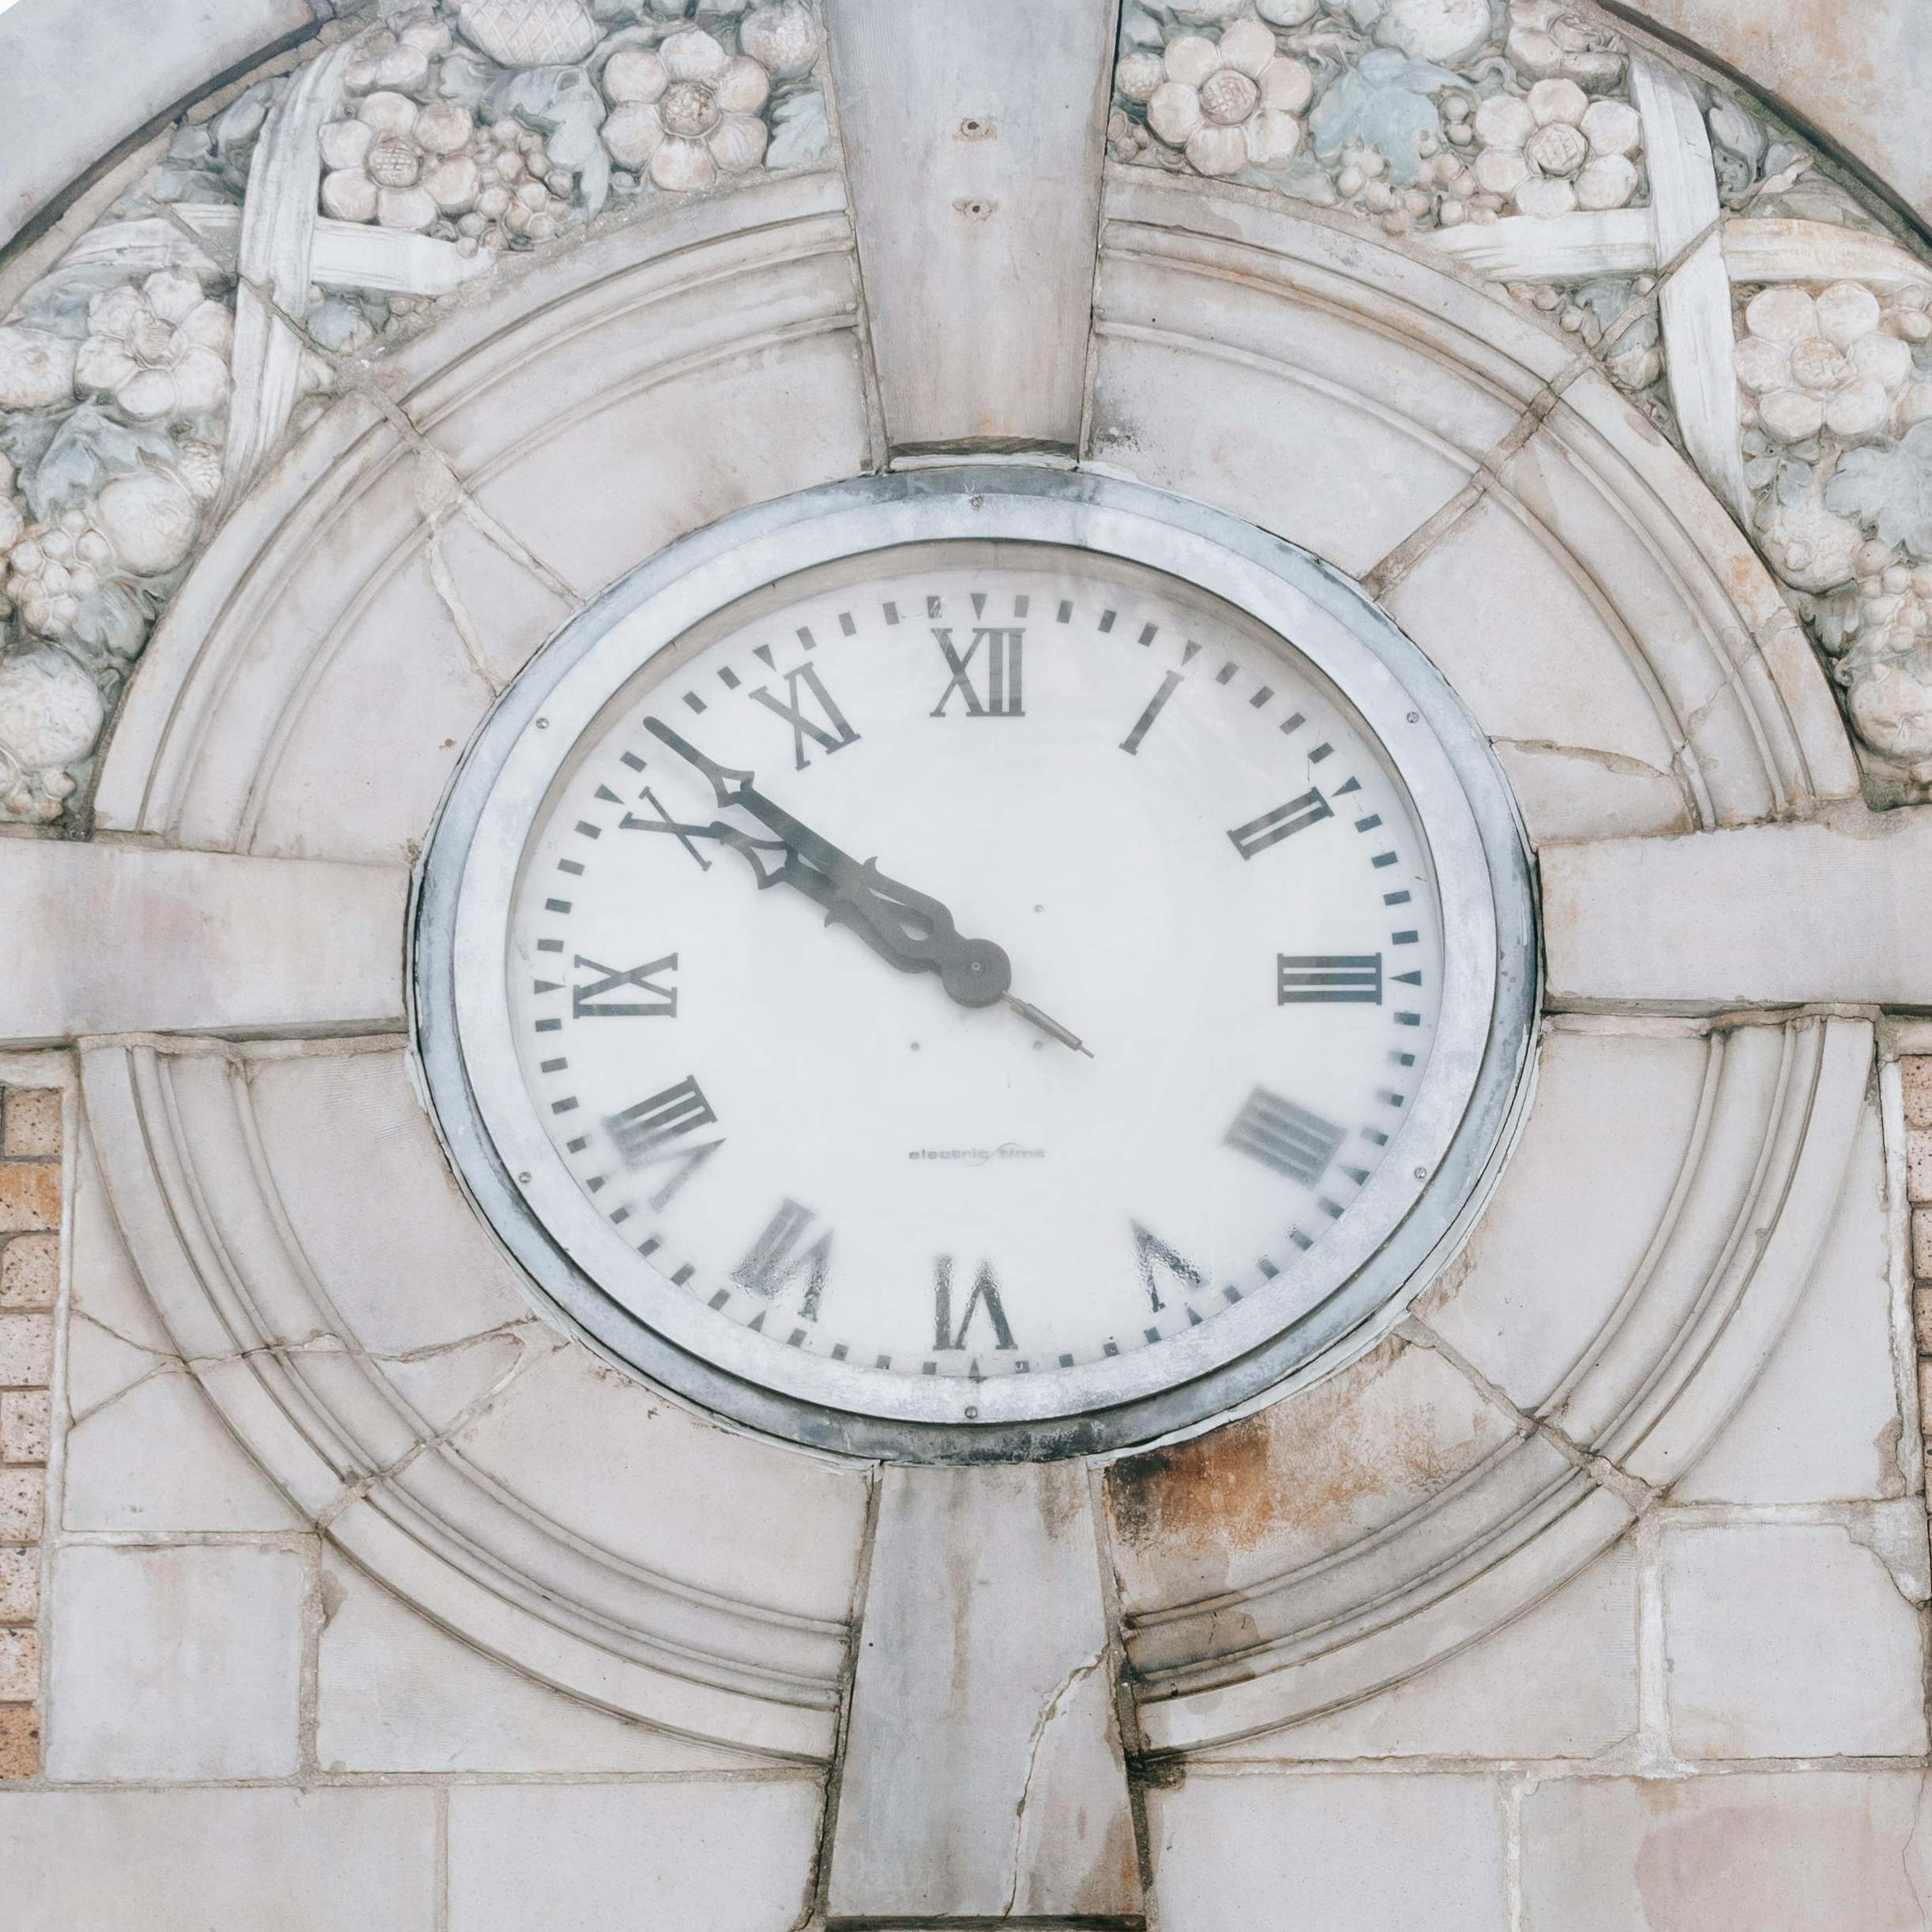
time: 9:51
